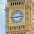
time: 2:45
